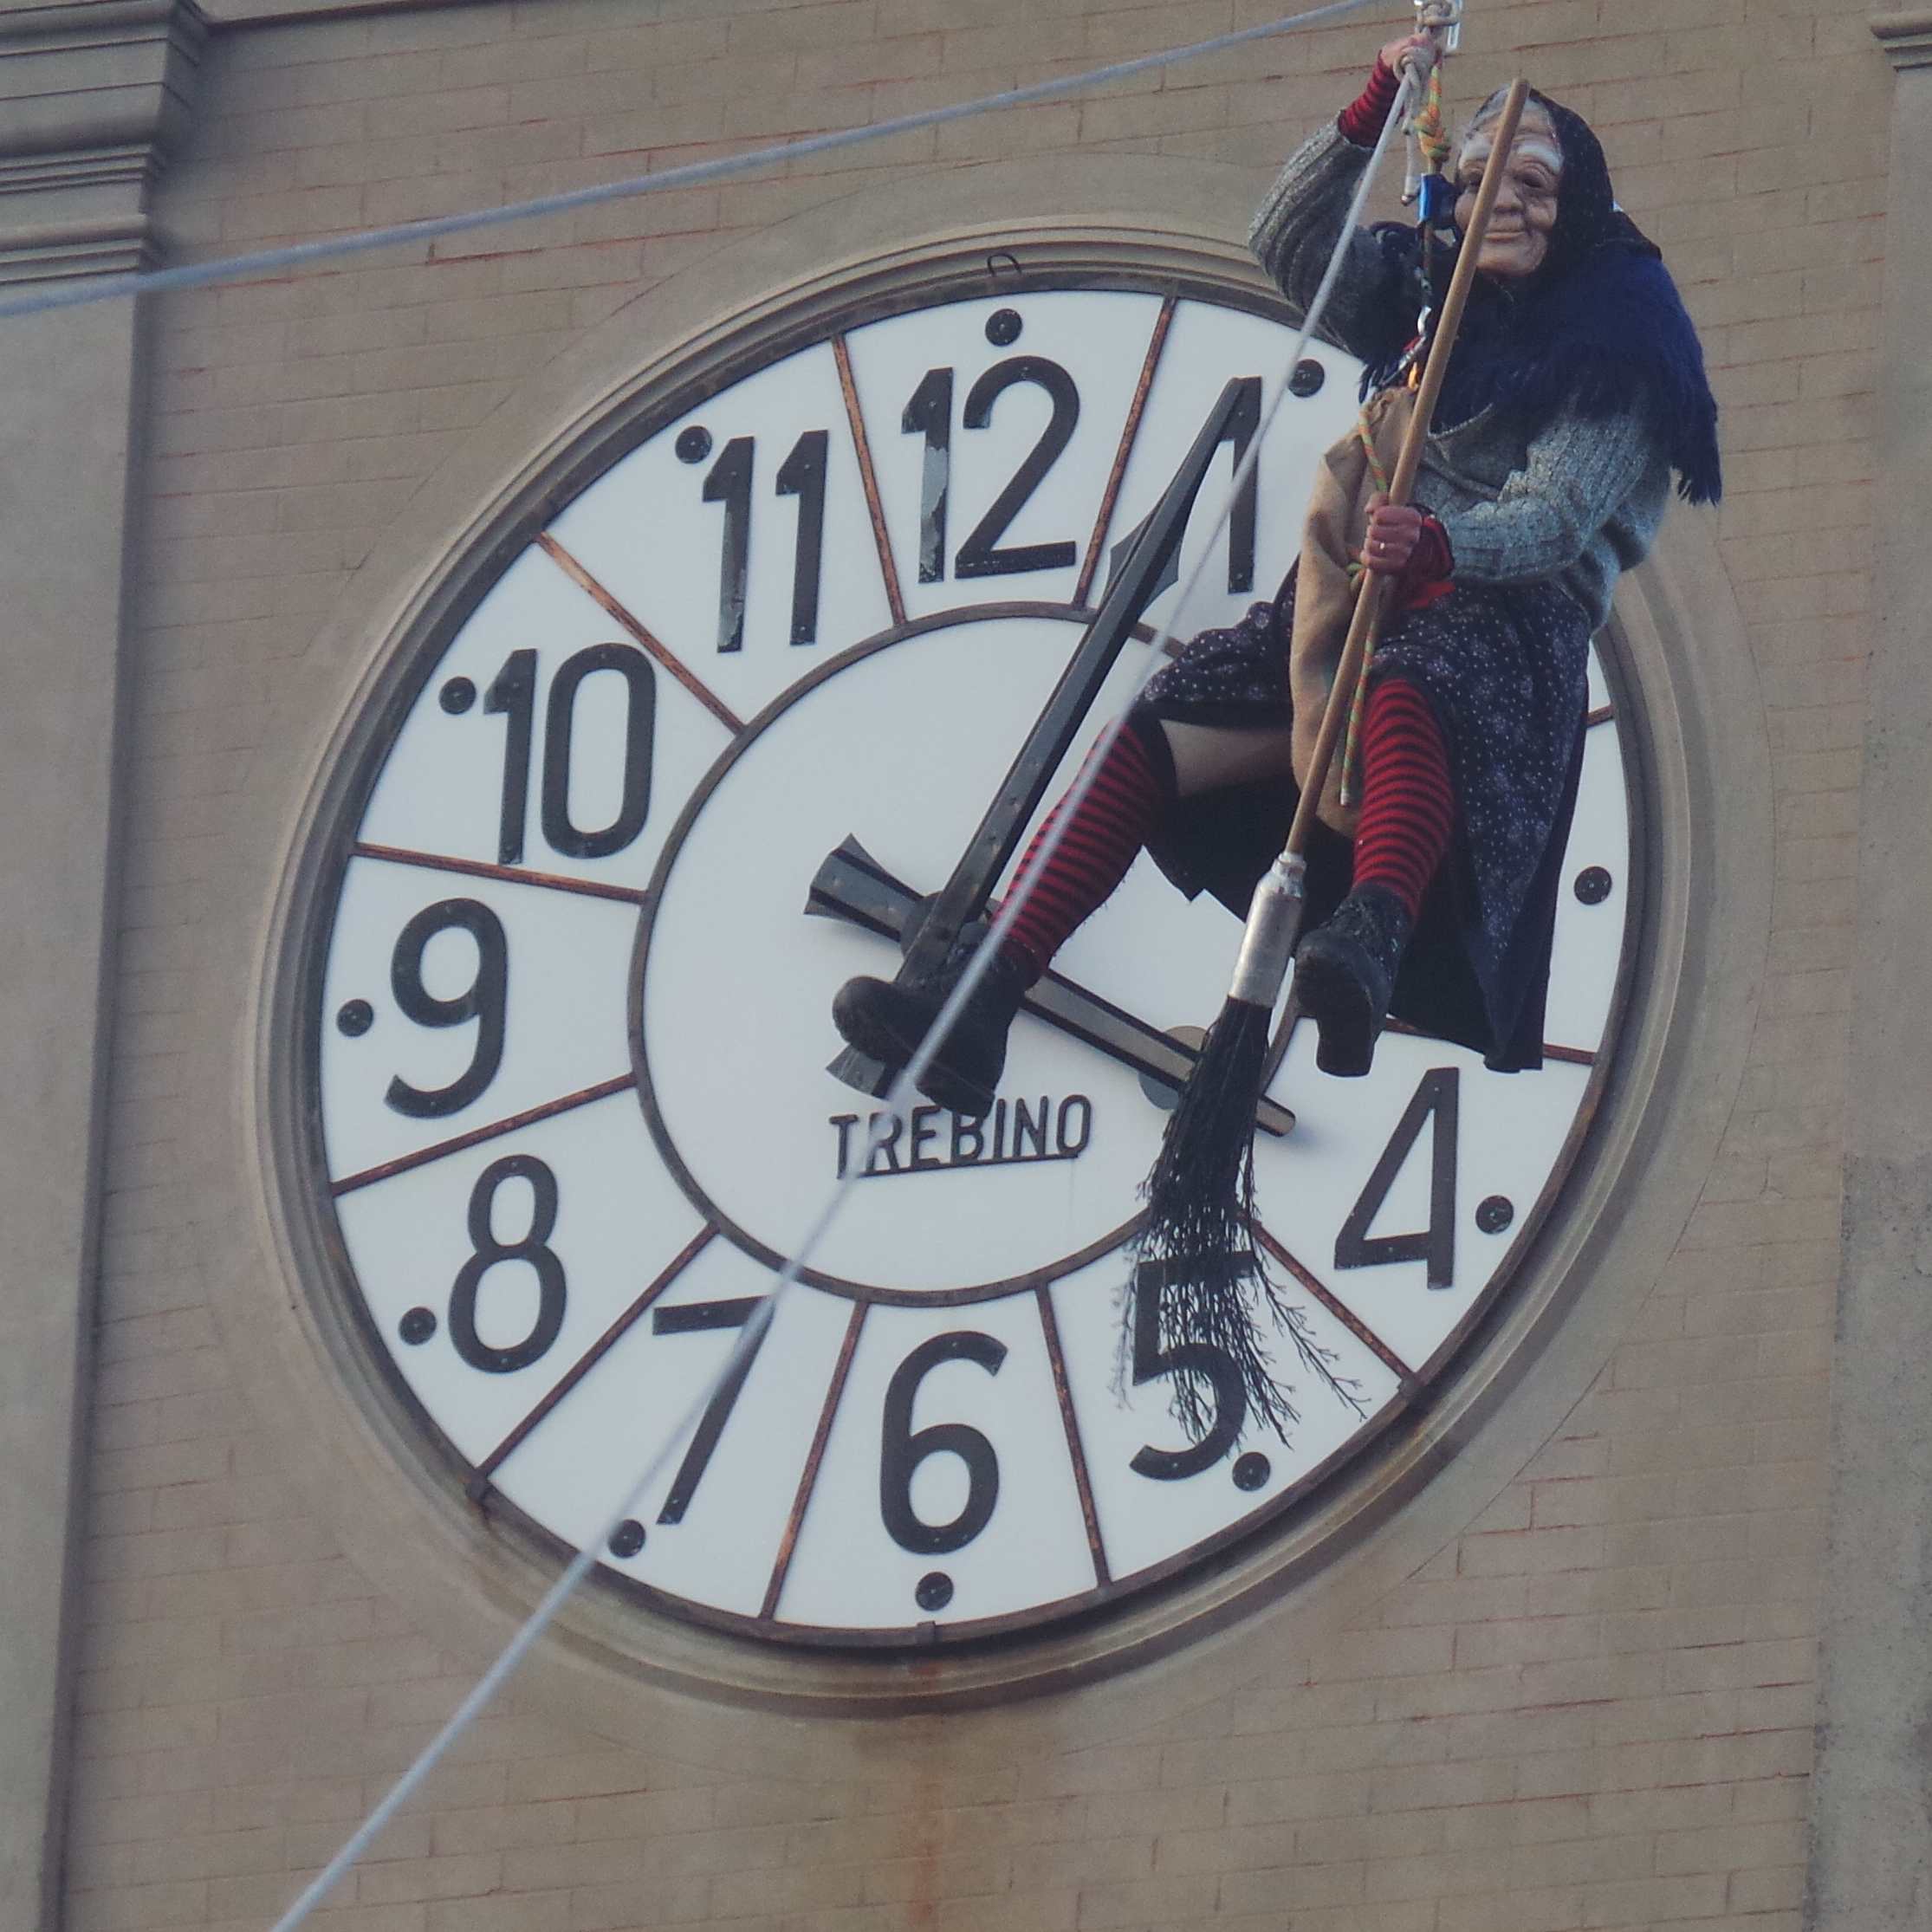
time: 4:04
